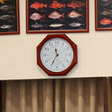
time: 11:35
